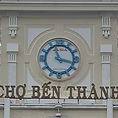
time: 11:17
